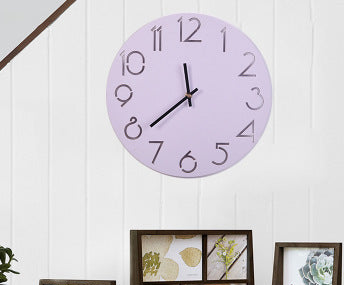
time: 11:38
